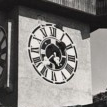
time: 1:36
